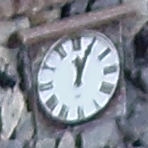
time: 12:04
